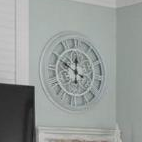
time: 11:49
